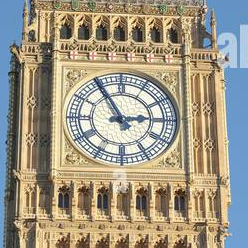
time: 2:55
